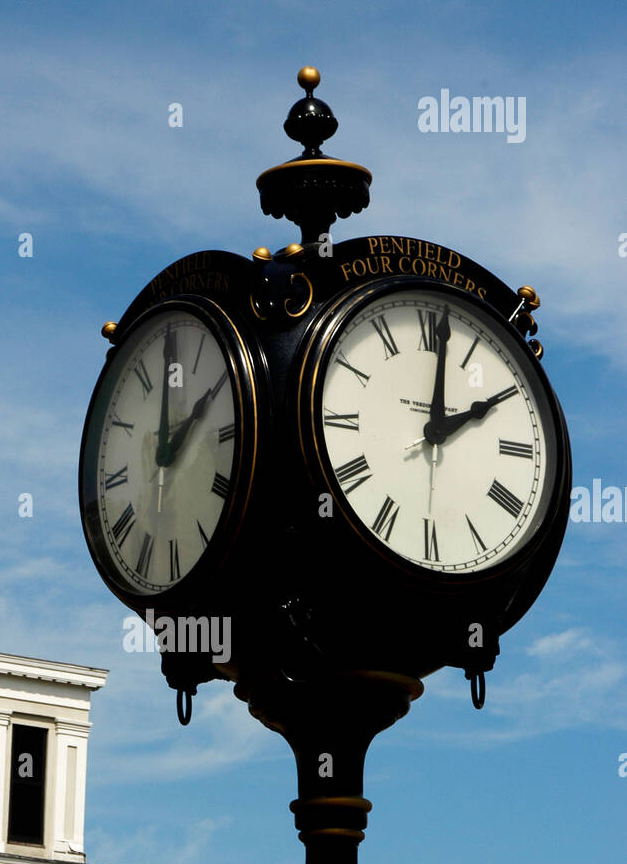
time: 2:01
